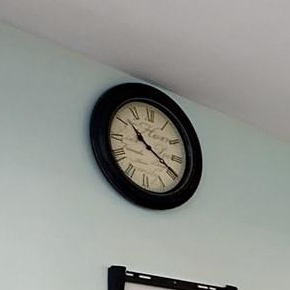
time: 10:19
